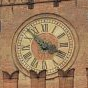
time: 3:52
